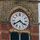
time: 4:39
